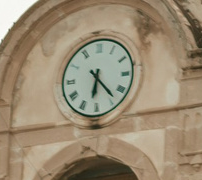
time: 6:23
